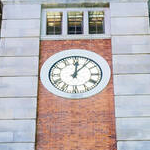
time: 12:06
